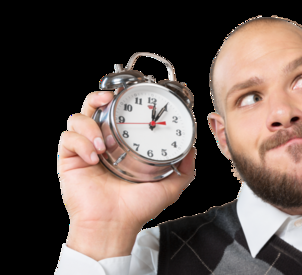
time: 12:05
